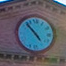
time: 4:53
